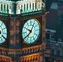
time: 9:38
